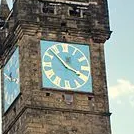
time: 3:52
